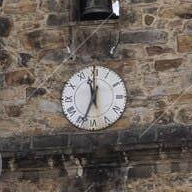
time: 11:33
